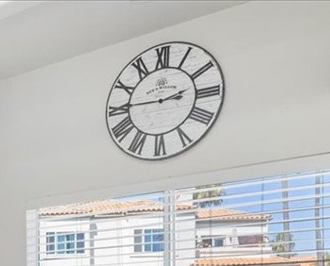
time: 2:45
